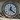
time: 12:21
